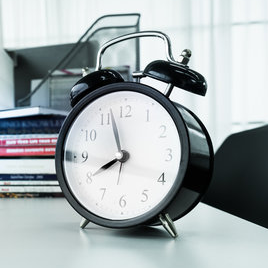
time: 7:57
